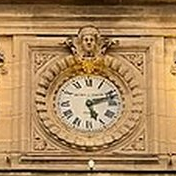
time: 5:11
